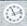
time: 11:12
